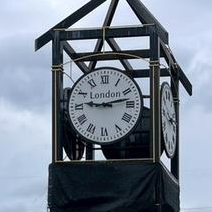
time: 9:12
